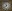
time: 11:37
